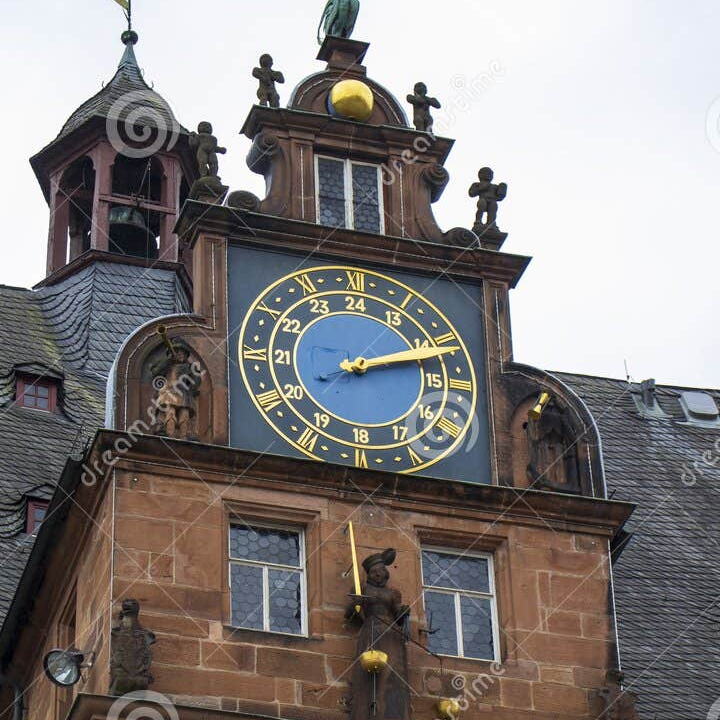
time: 2:12
